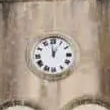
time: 12:59
